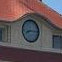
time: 8:14
